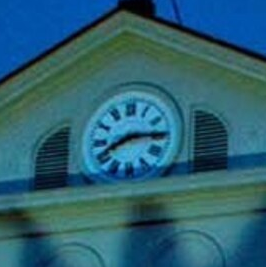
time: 8:14
